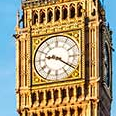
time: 9:20
